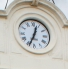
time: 12:34
